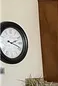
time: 2:18
